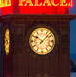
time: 10:07
